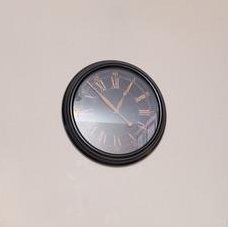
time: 12:52
